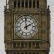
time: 1:59
